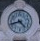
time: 4:42
